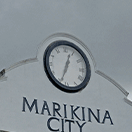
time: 12:34
